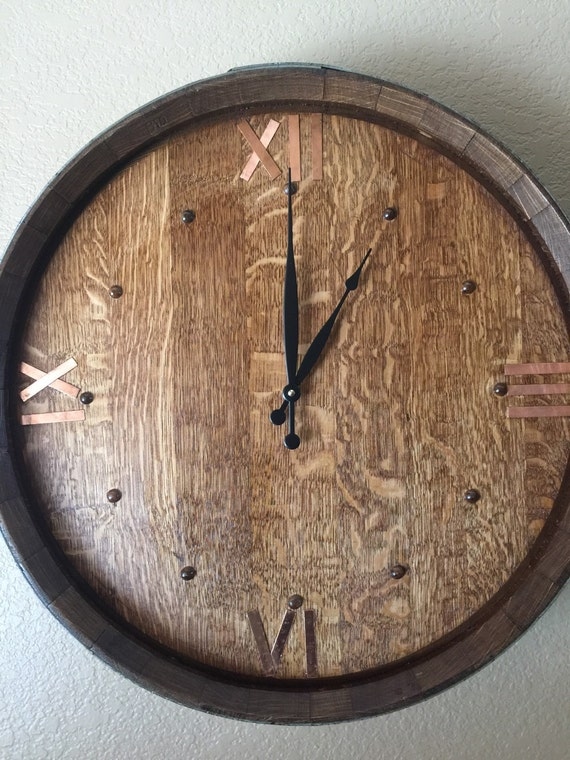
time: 1:00
